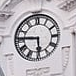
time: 5:45
